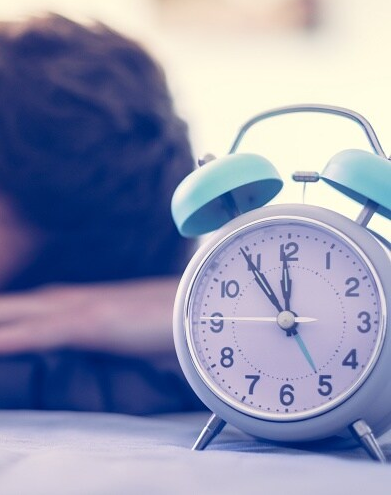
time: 11:54
